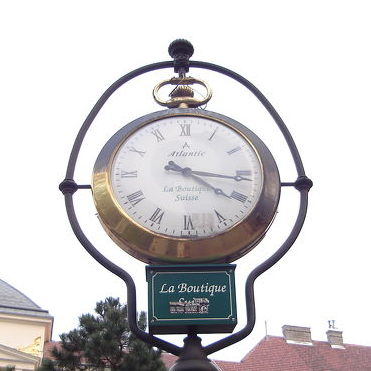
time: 4:16
